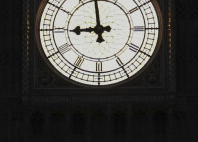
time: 8:58
